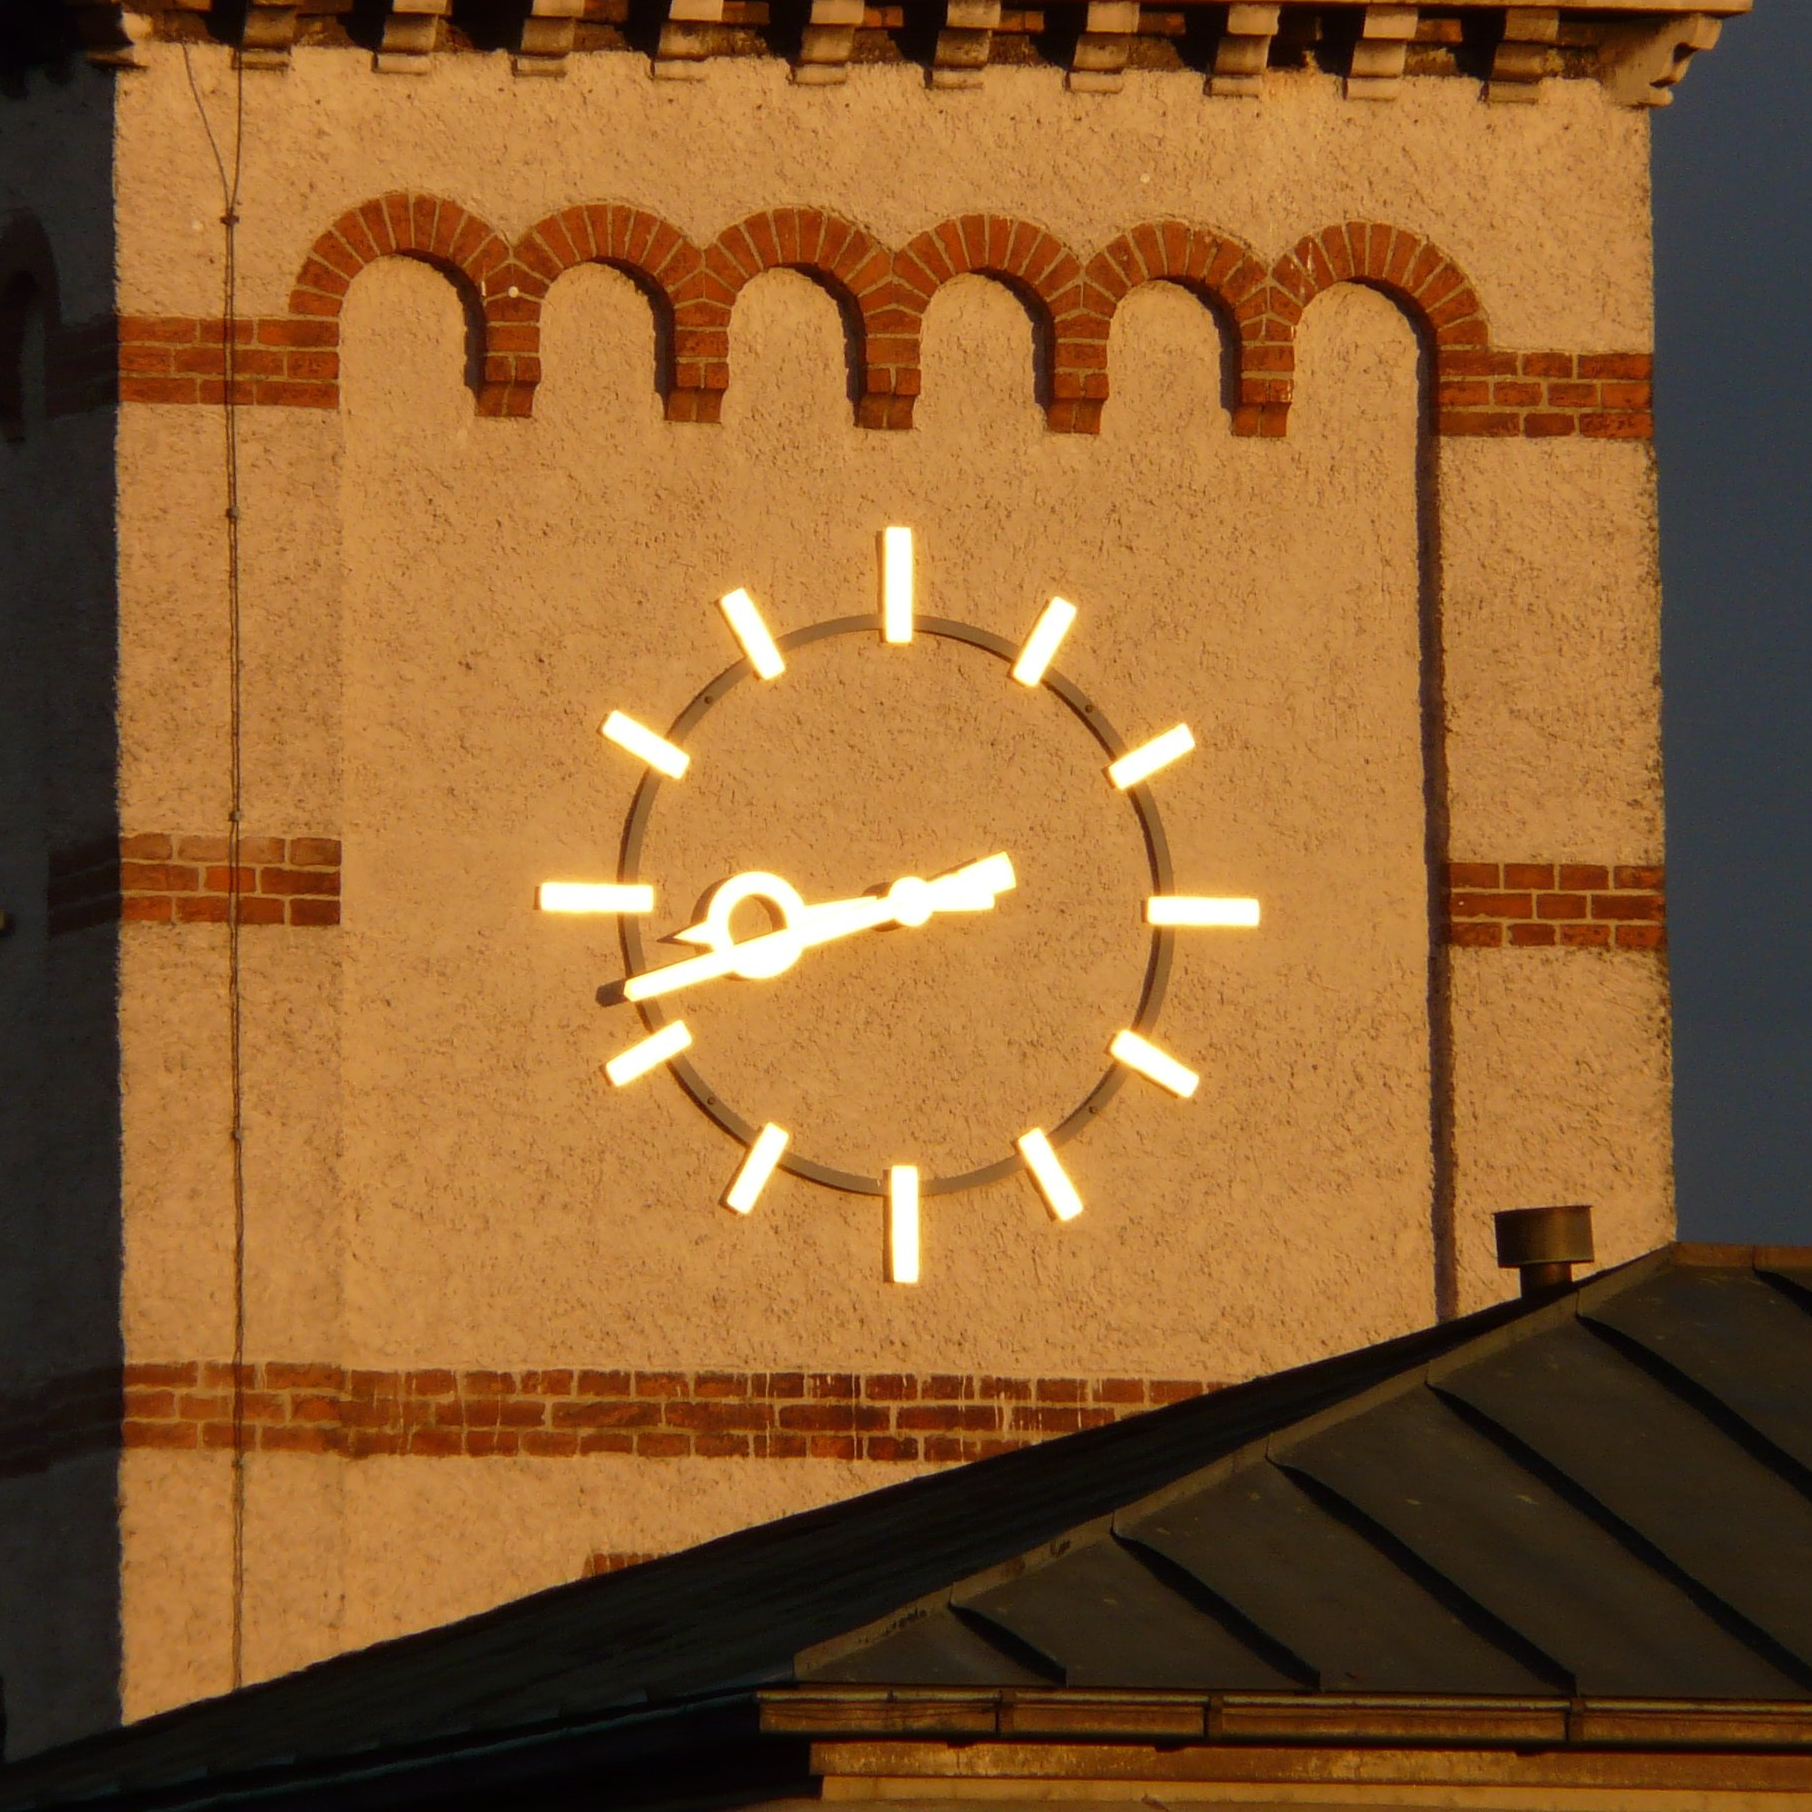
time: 8:42
